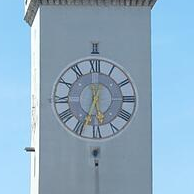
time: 5:33
